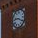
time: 9:20
